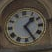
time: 1:25
